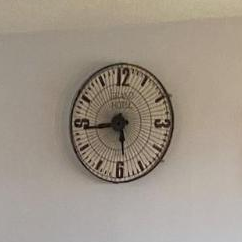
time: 5:43
